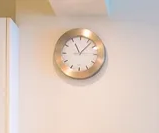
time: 11:07
